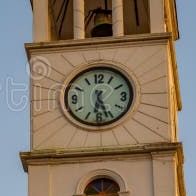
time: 6:26
